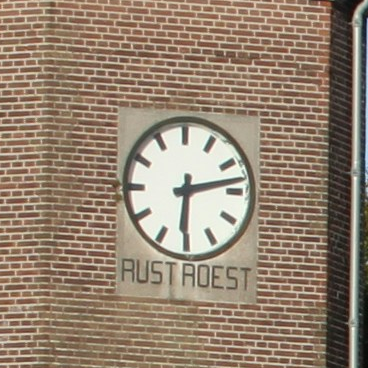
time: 6:13
